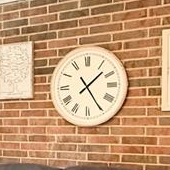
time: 1:24
